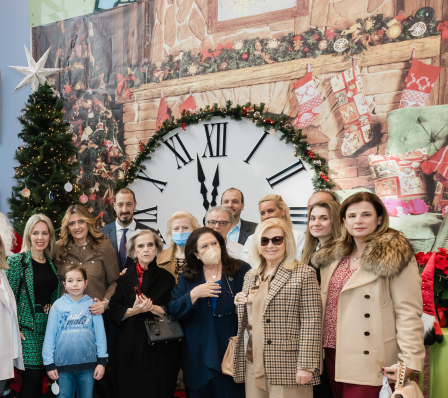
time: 11:57
